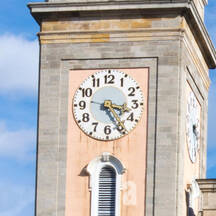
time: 3:25
